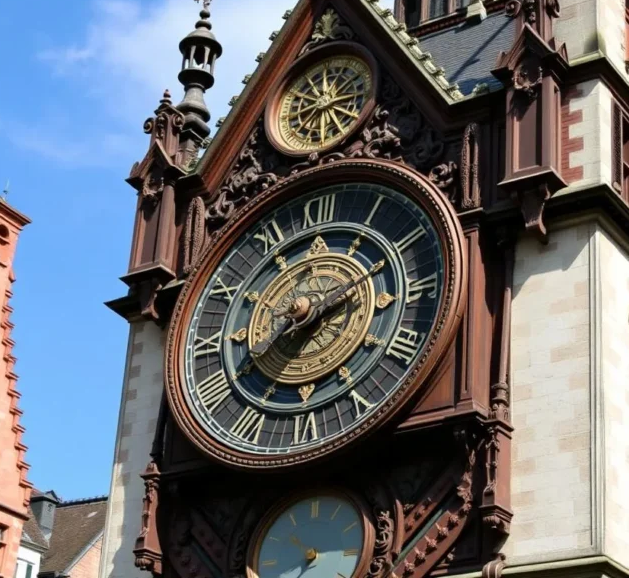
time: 2:40
